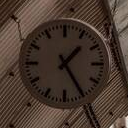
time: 1:24
